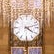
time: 4:12
